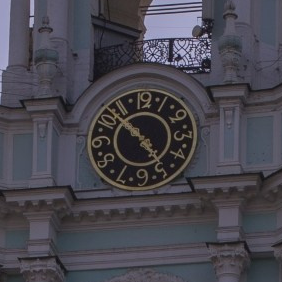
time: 4:52
